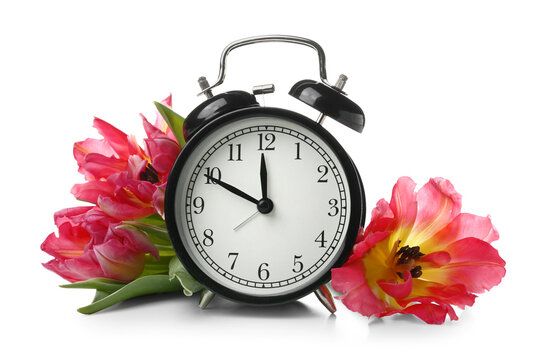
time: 11:49
